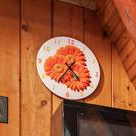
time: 4:35
